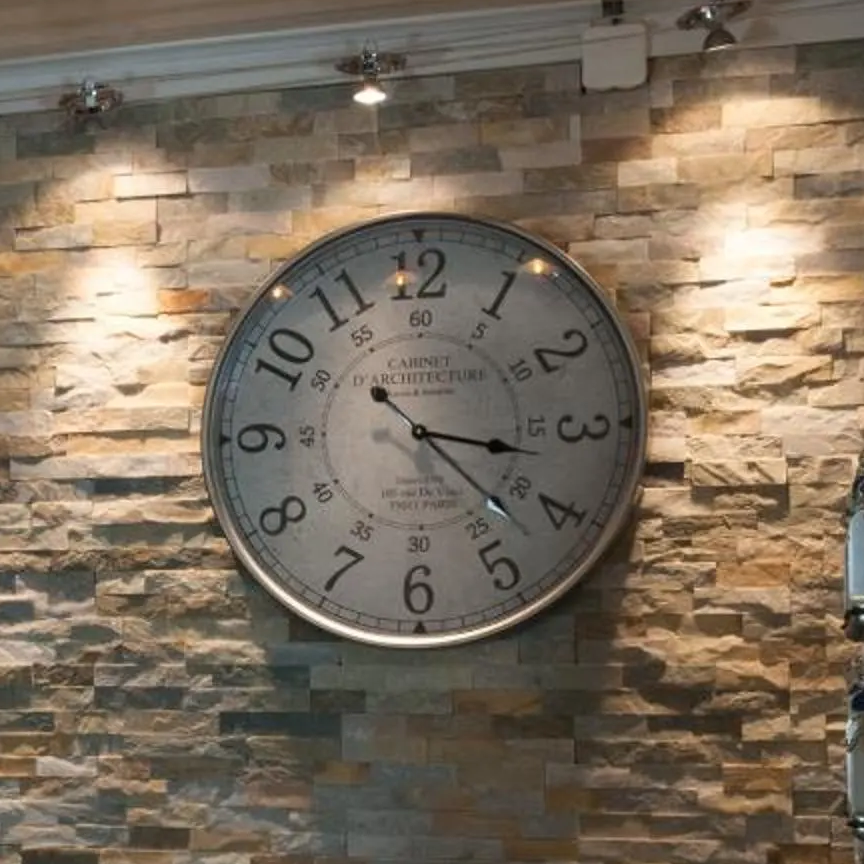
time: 3:22
